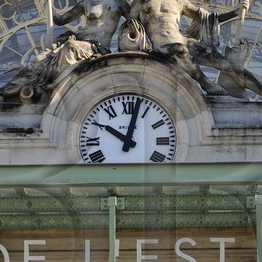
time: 10:02
